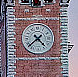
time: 4:38
